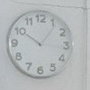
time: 10:06
